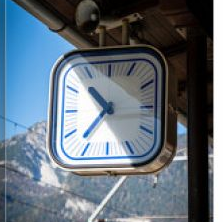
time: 10:37
